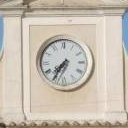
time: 7:35
